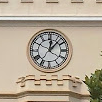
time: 12:07
